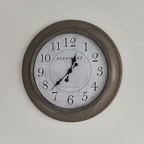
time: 12:37
